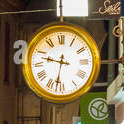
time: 9:32
